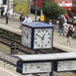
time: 12:49
